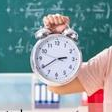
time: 2:39
